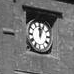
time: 12:04
